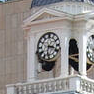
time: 3:32
